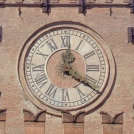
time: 12:20
